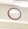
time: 2:42
